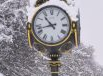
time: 10:42
